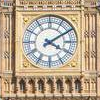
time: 4:09
